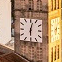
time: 6:02
